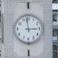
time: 2:58
